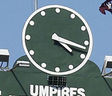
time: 4:17
